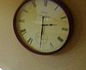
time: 2:30
